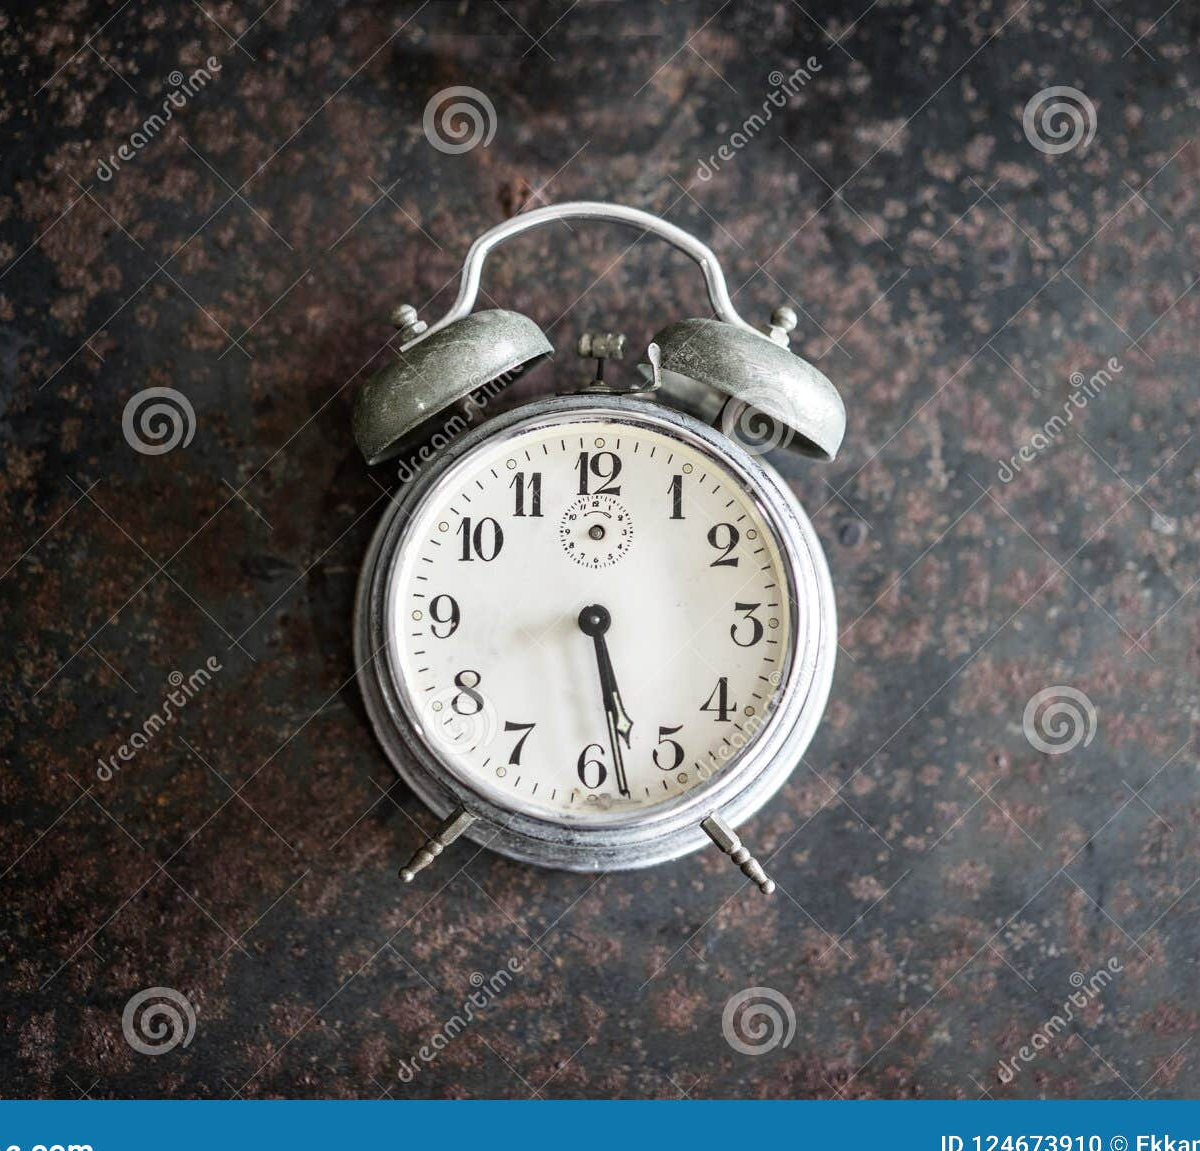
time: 5:28
